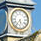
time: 5:36
